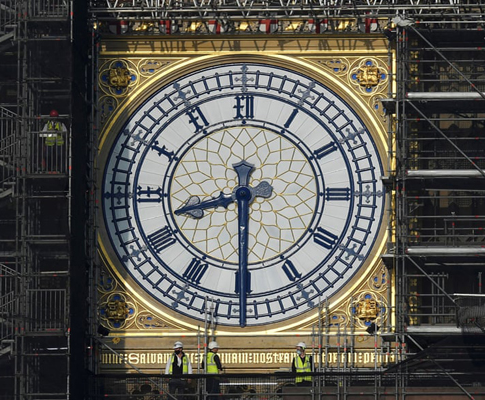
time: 8:29
